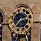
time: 2:36
